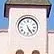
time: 5:24
